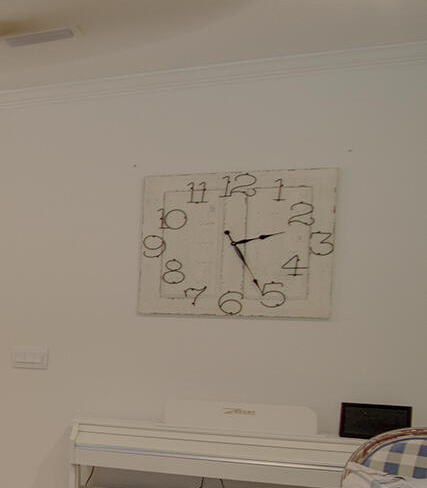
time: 2:25
